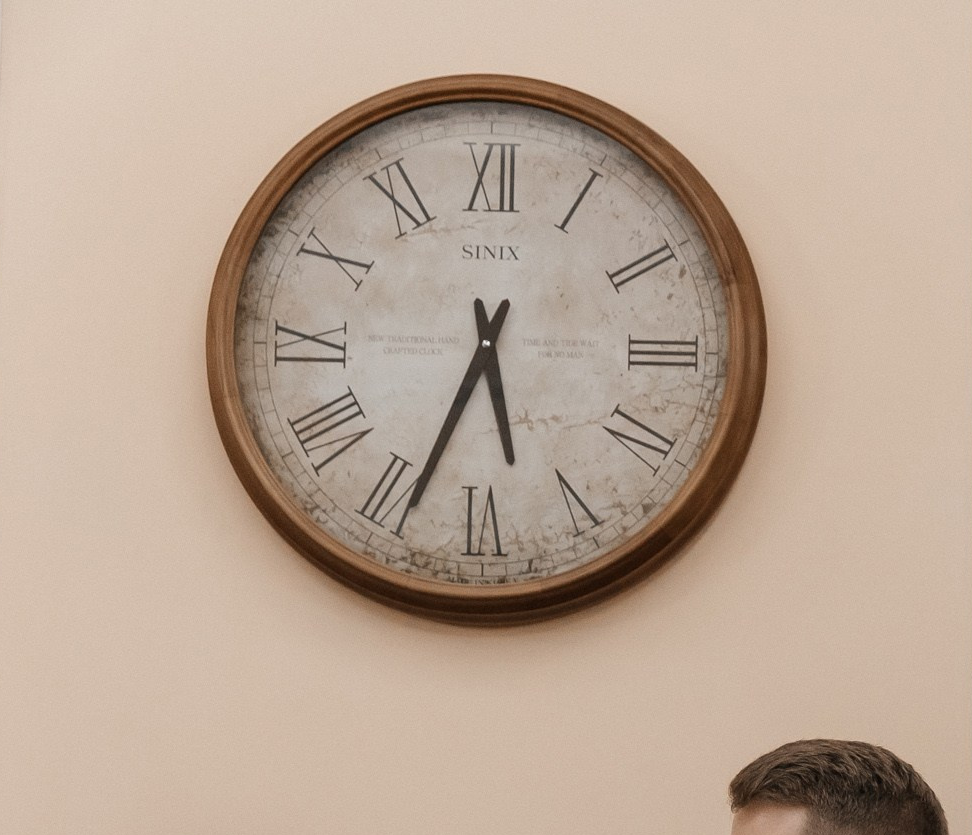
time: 5:33
